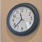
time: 11:37
